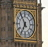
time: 6:54
